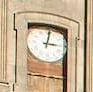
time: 3:01
